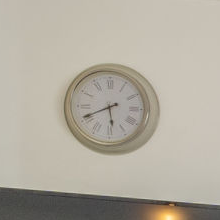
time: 5:40
